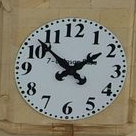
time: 1:52
